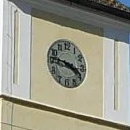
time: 3:46
